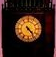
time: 4:23
